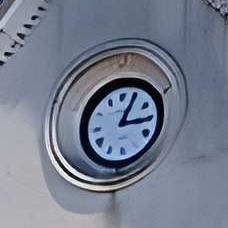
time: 3:04
